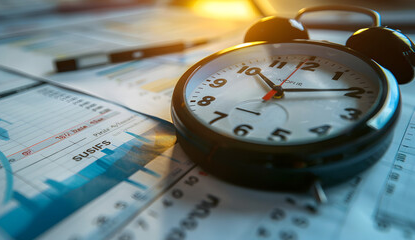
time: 11:14
